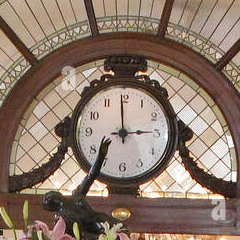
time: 2:59
